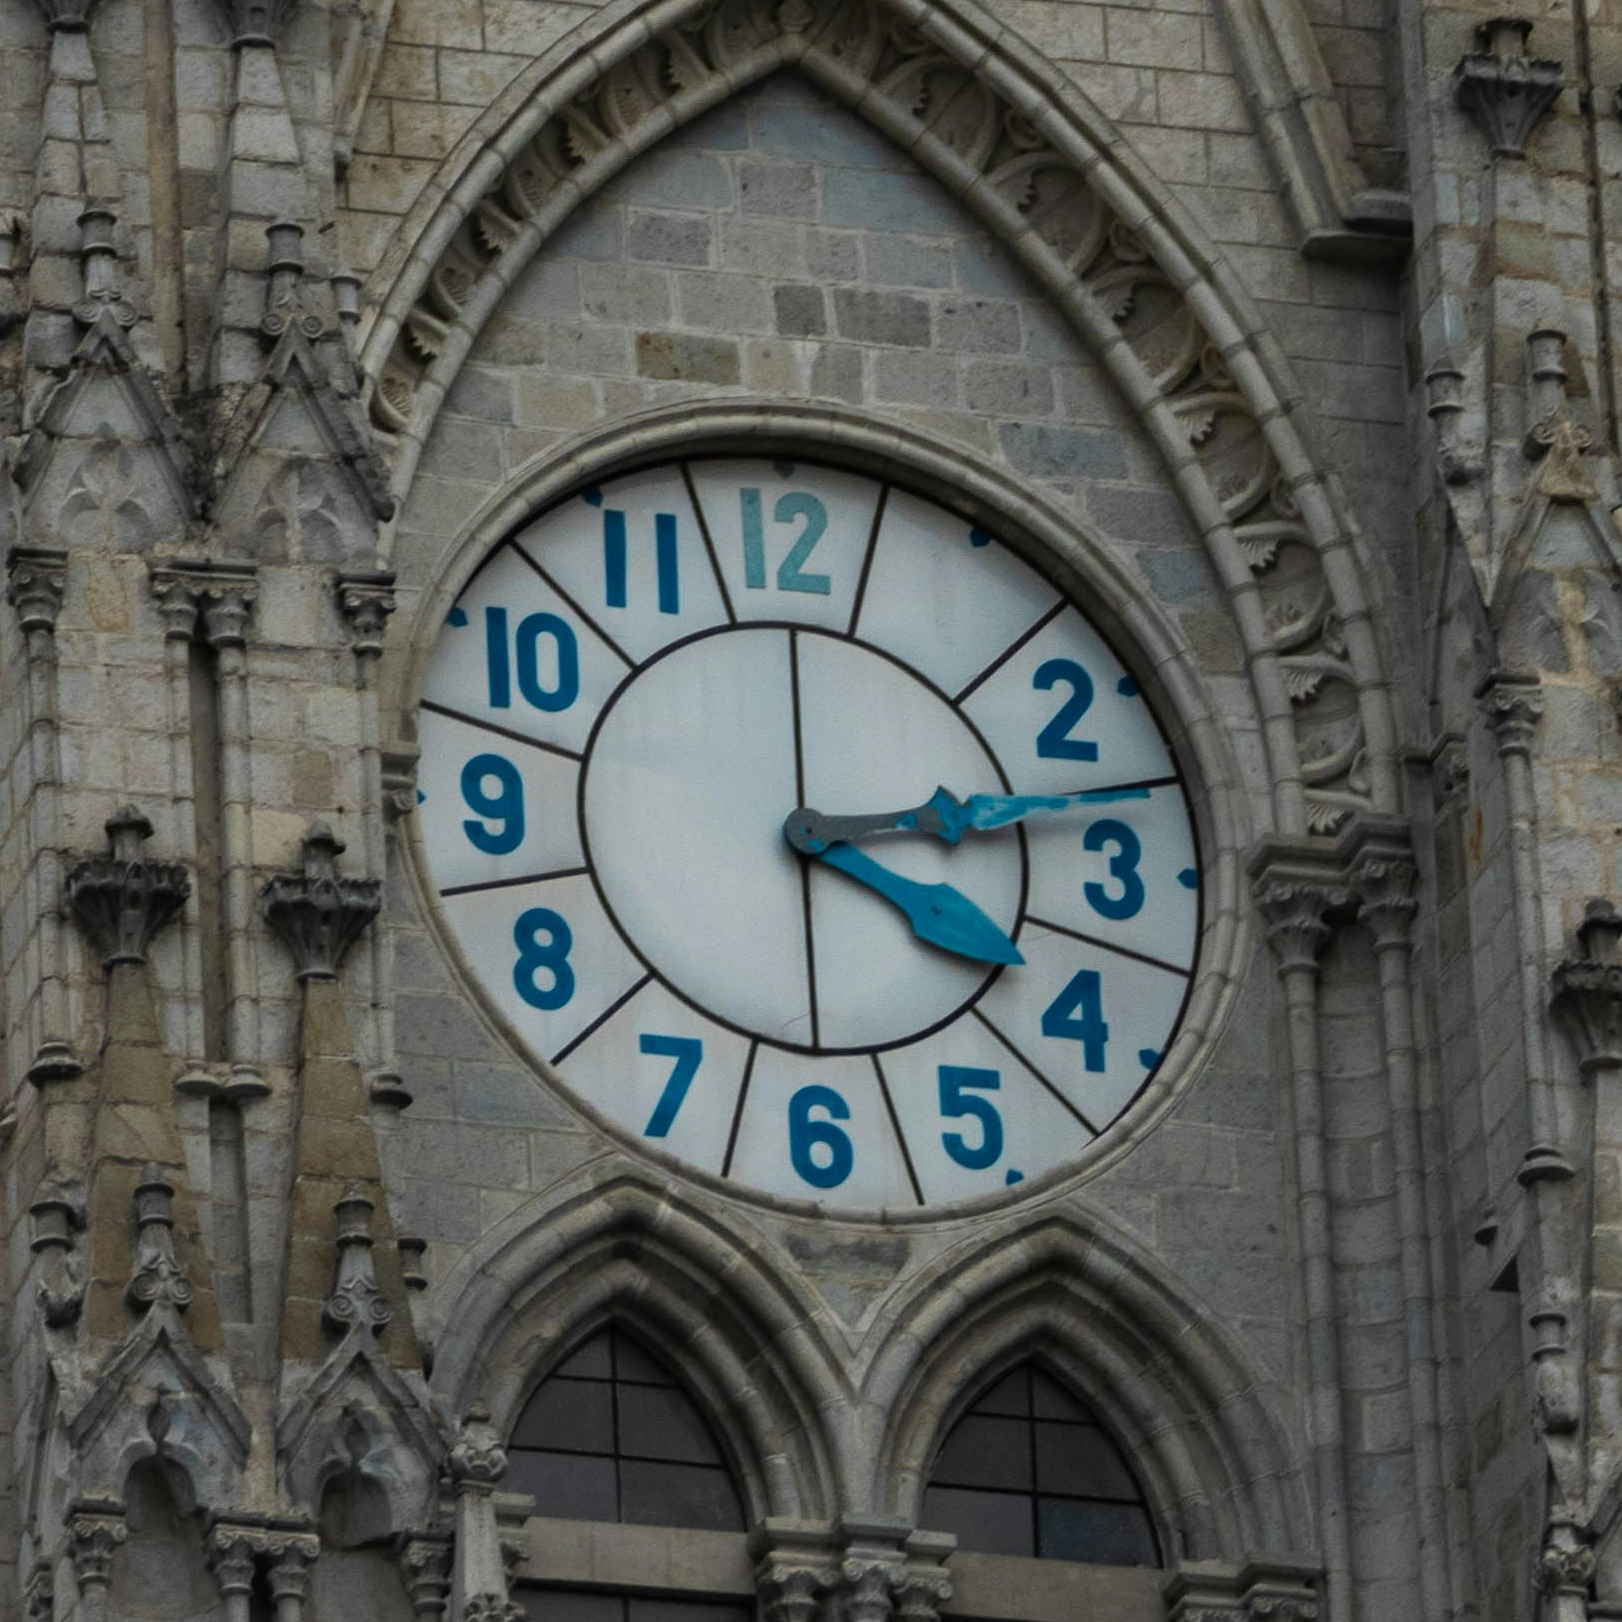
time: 3:13
